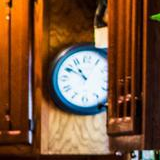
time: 10:49
